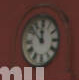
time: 11:52
